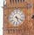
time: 5:18
